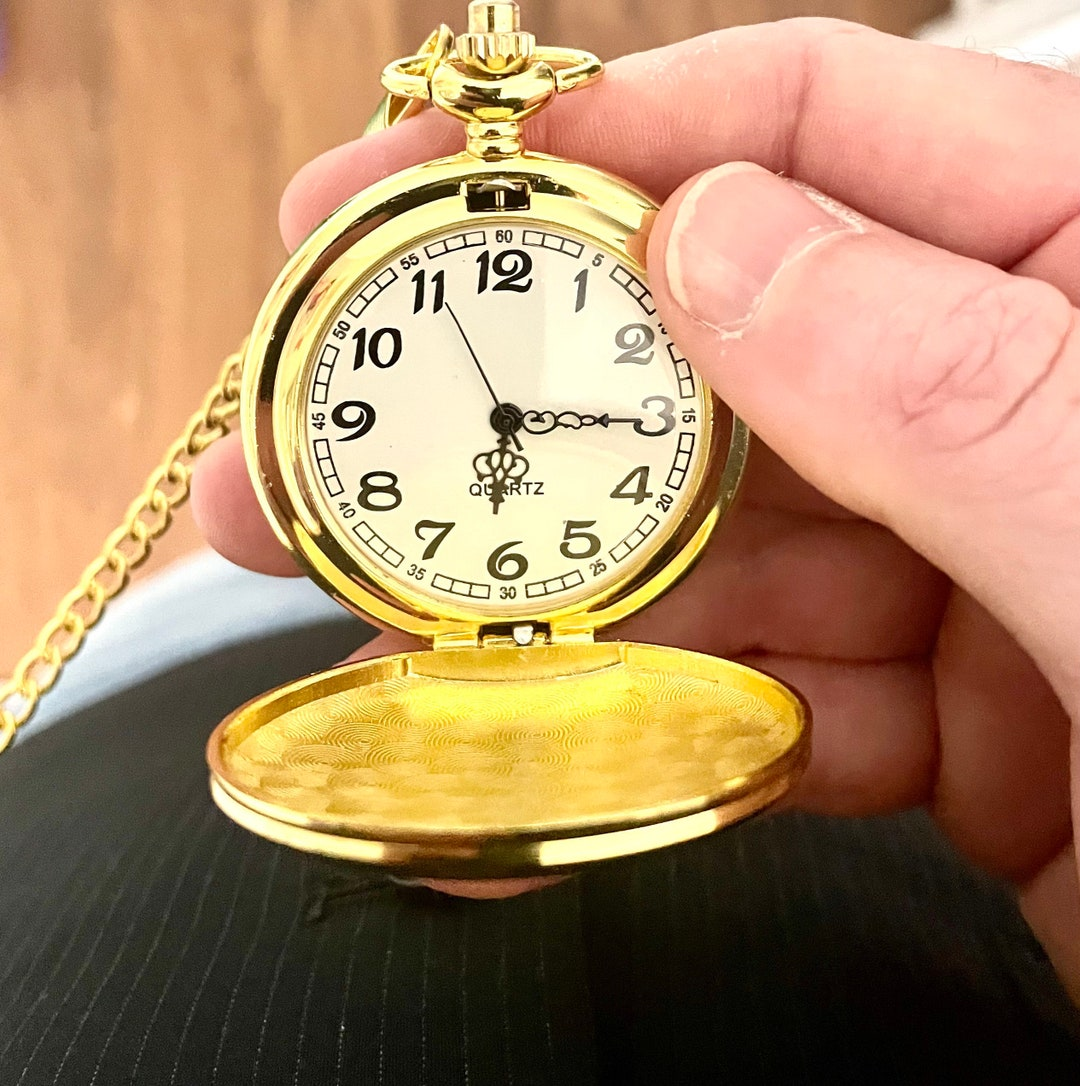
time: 6:14
